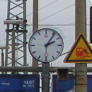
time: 2:06
